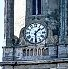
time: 1:30
